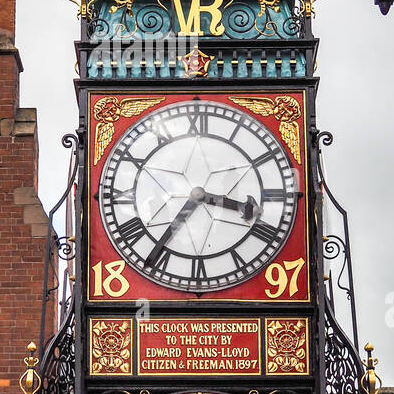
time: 3:36
